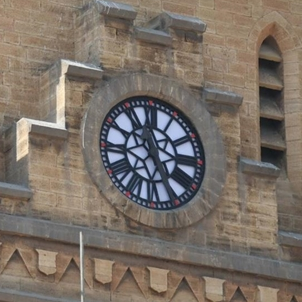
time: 11:25
